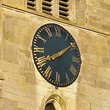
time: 8:09
